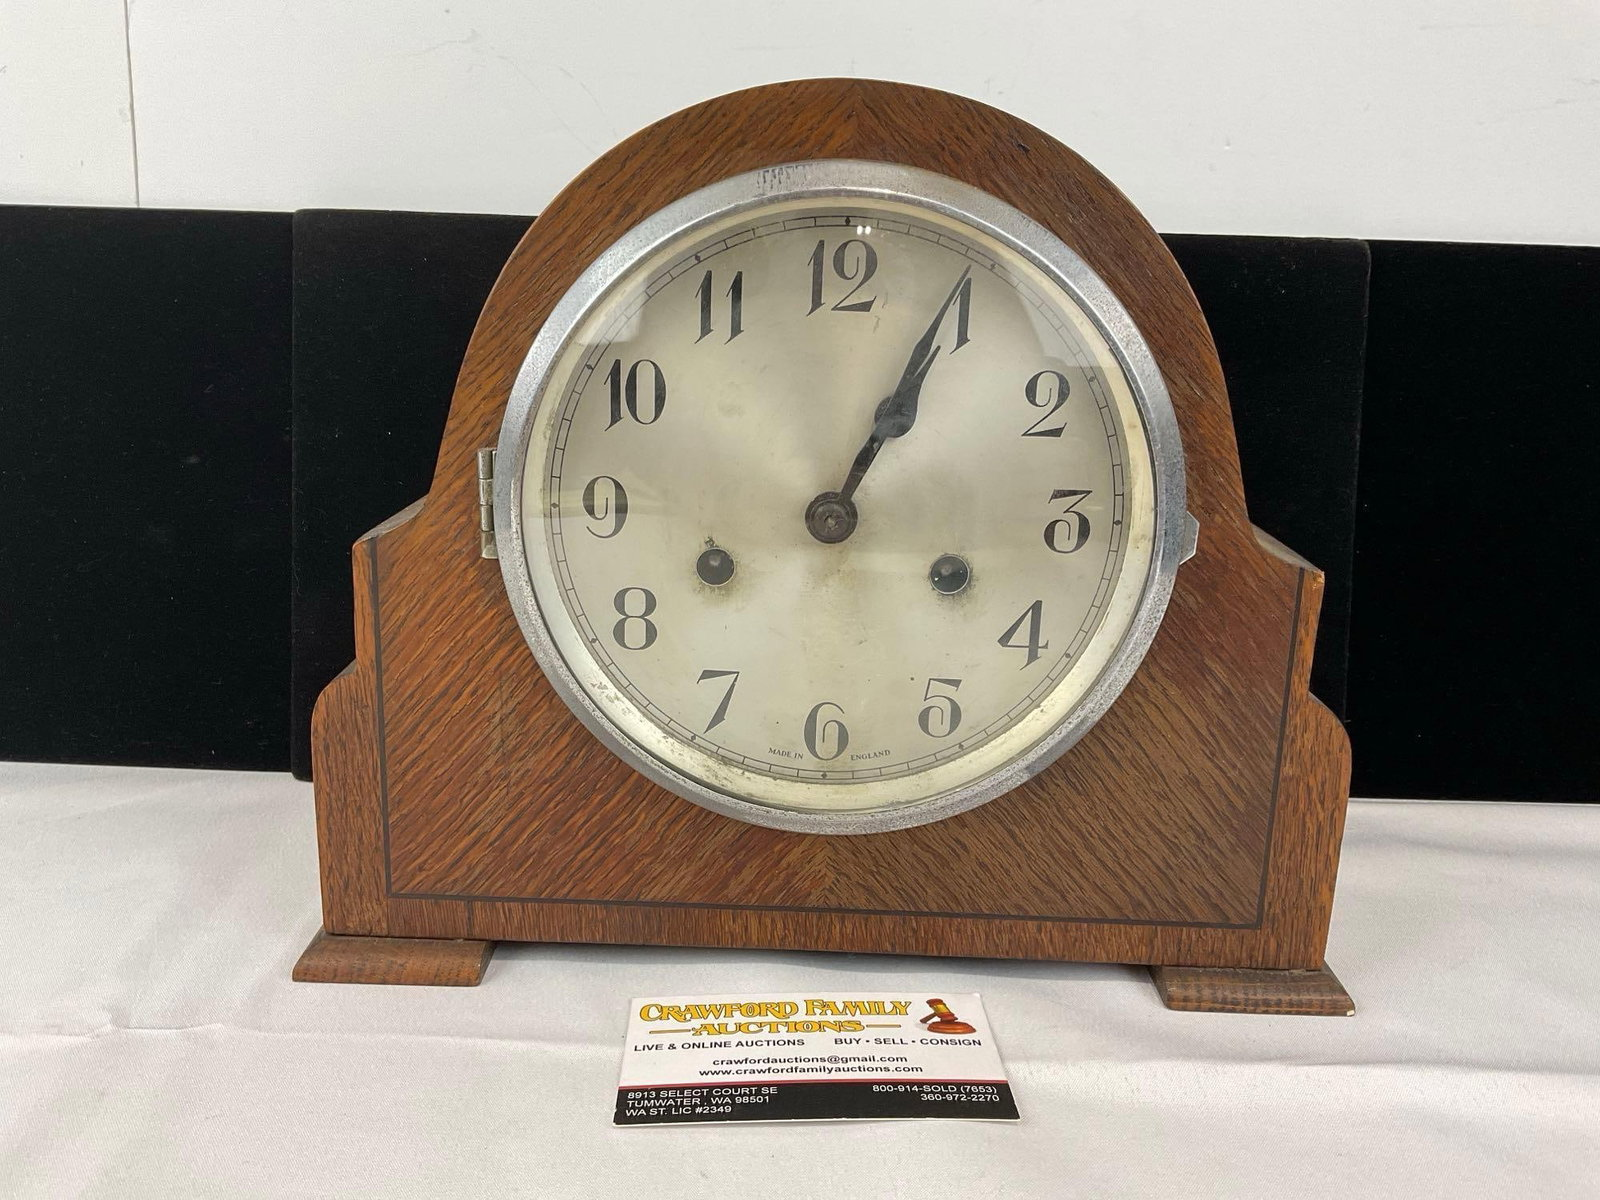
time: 1:04
